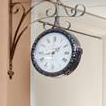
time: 1:42
